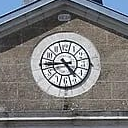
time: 4:44
